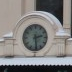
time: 2:29
